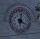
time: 4:01
